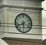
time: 5:41
